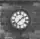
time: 1:37
